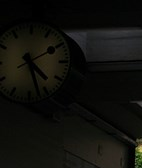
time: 4:27
